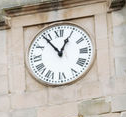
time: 12:54
